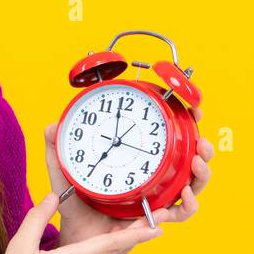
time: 6:58
